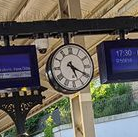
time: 5:19
